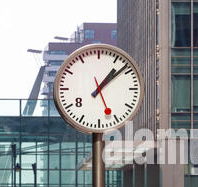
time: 1:08
